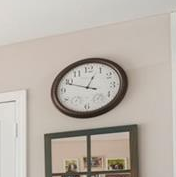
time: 12:48
